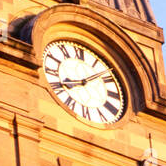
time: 8:08
